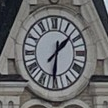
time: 1:31
